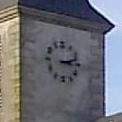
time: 3:12
